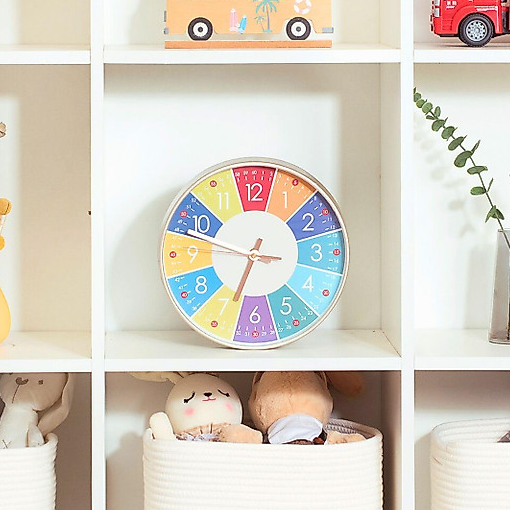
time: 6:47
